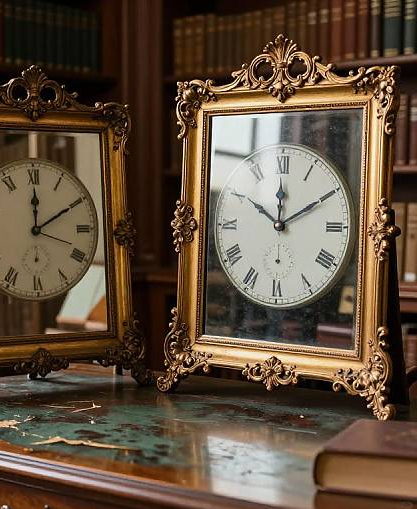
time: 12:10
